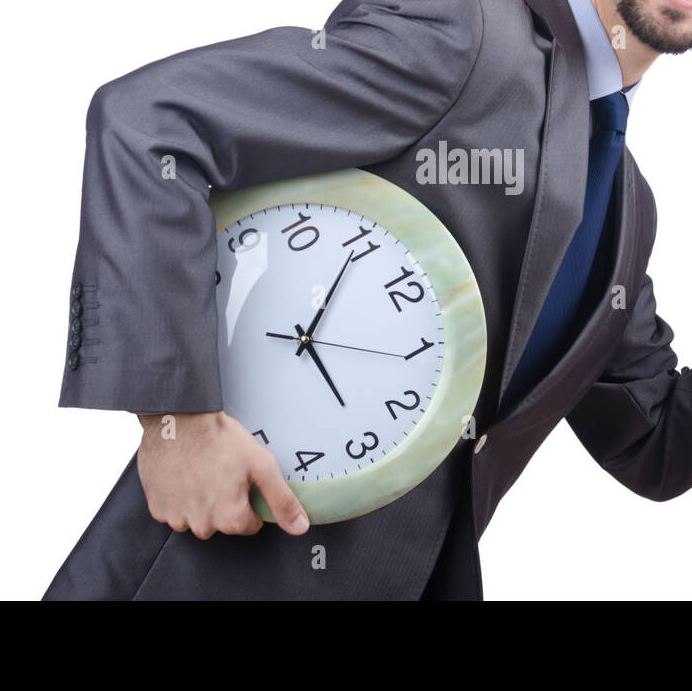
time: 5:04
